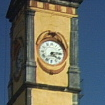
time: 4:14
